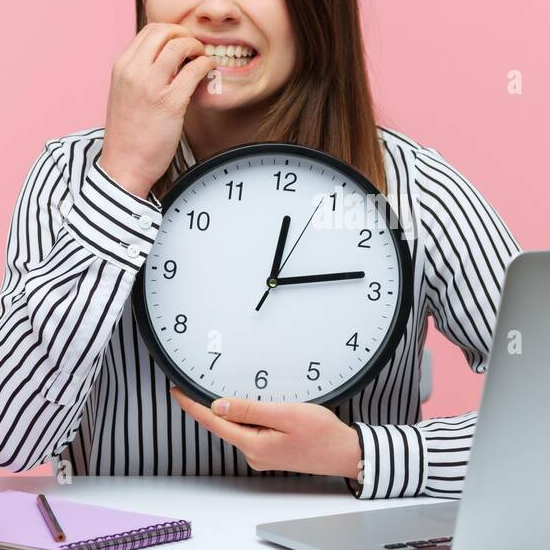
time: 12:13
